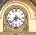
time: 3:37
